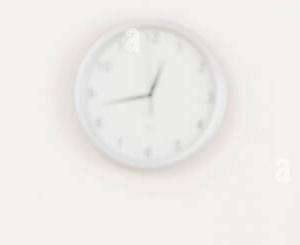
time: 12:42
